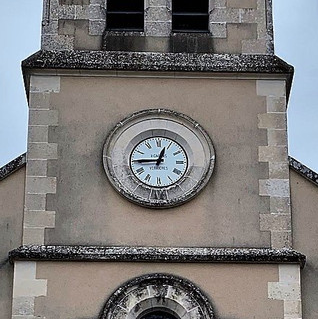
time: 12:44
